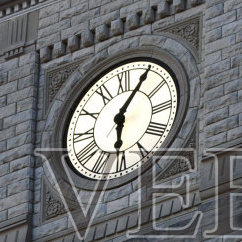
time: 6:05
